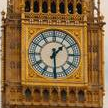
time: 1:29
